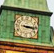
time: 3:16
